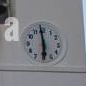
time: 5:58
